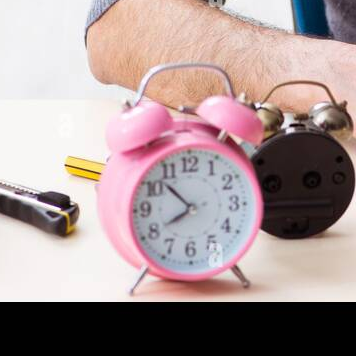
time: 7:52
